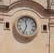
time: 11:33
